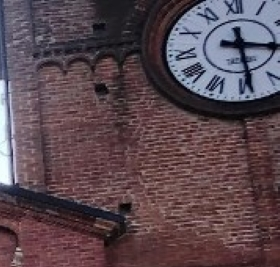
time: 3:29
